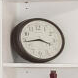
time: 3:43
